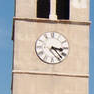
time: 3:22
